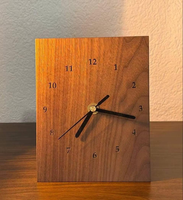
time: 7:17
